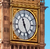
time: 11:25
